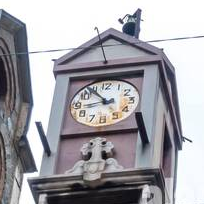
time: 8:53
